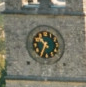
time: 10:34
